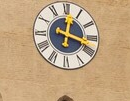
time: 12:17
